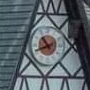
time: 10:41
